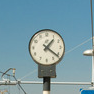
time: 1:21
